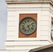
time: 5:11
